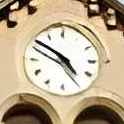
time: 4:50
